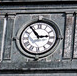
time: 2:54
